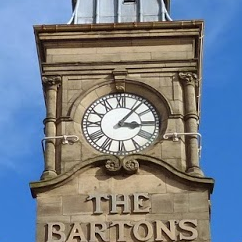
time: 3:06
